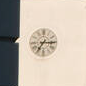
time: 7:15
